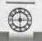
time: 6:14
